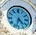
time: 4:33
